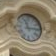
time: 11:13
